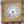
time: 7:25
